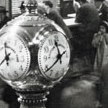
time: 11:38
